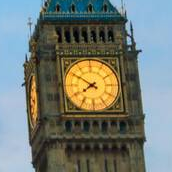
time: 7:50
